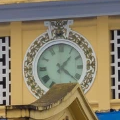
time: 1:21
